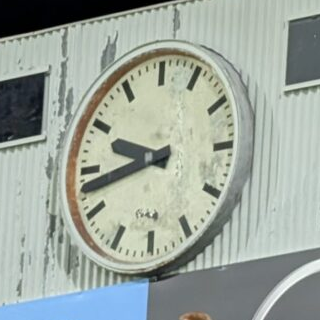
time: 9:42
